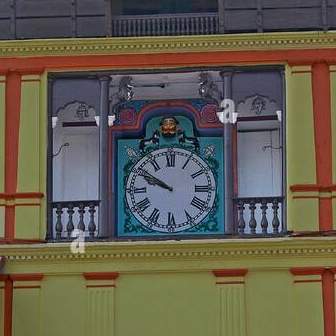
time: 9:50
